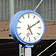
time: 5:10
